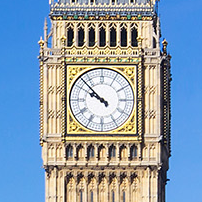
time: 9:52
